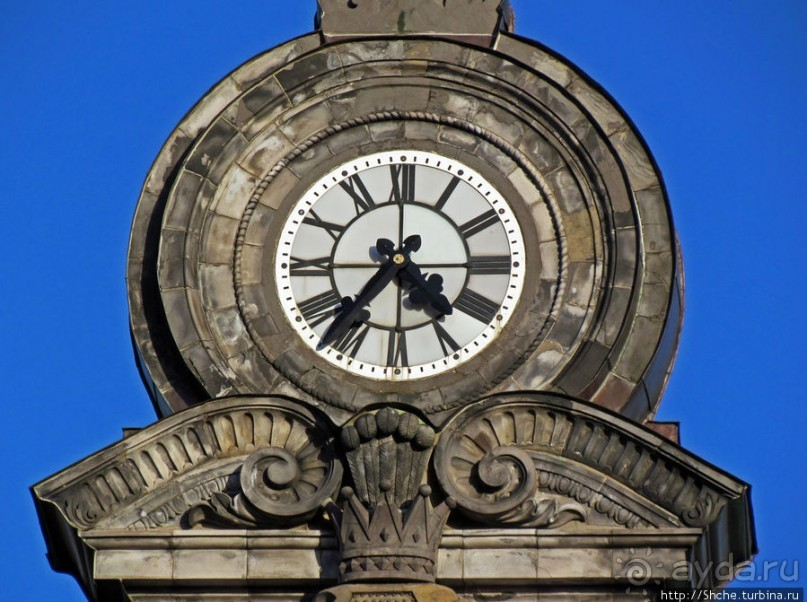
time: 4:36
